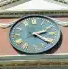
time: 2:21
